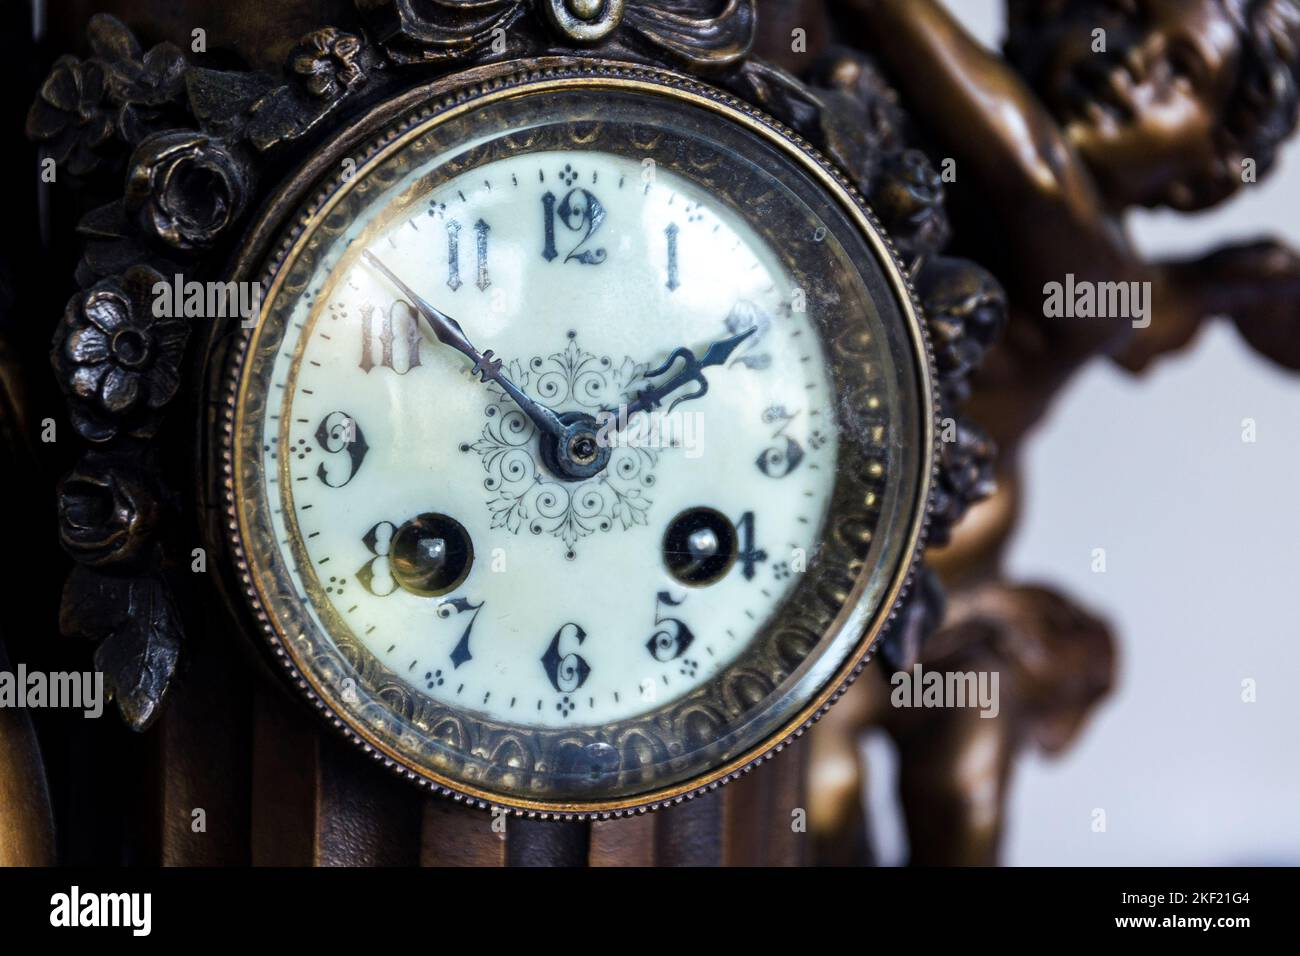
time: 1:51
